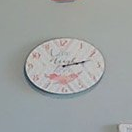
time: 2:12
